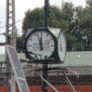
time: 11:56
